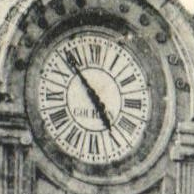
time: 4:53
